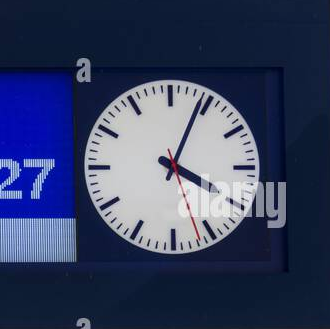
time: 4:04
